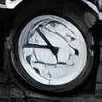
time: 10:45
